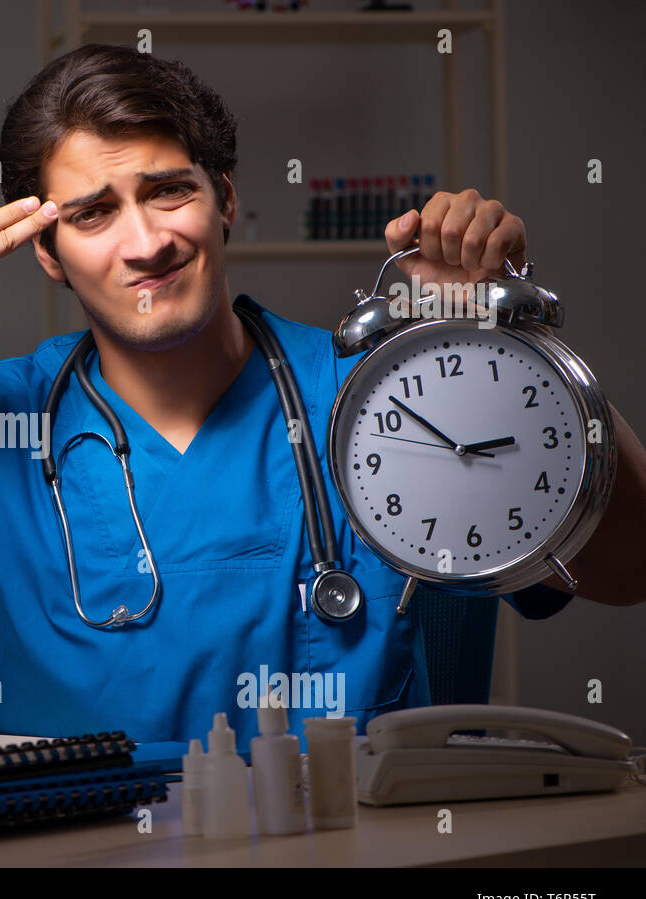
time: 2:52
